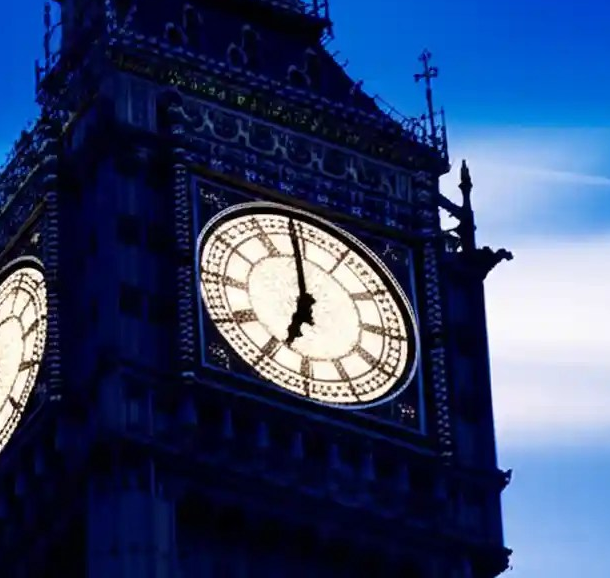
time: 6:58
